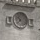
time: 10:37
